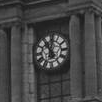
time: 11:02
